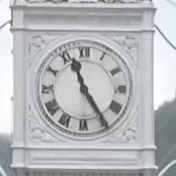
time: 11:24
